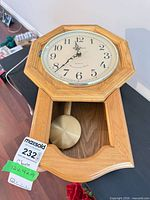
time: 11:37
